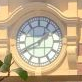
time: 1:41
